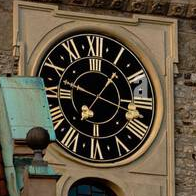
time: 1:16
